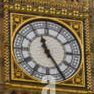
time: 11:24
